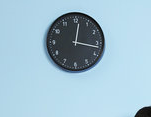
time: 12:16
